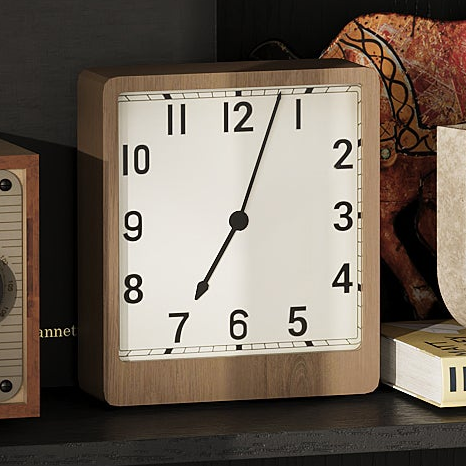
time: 7:03
